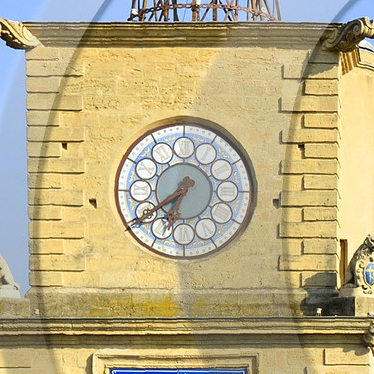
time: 6:39
